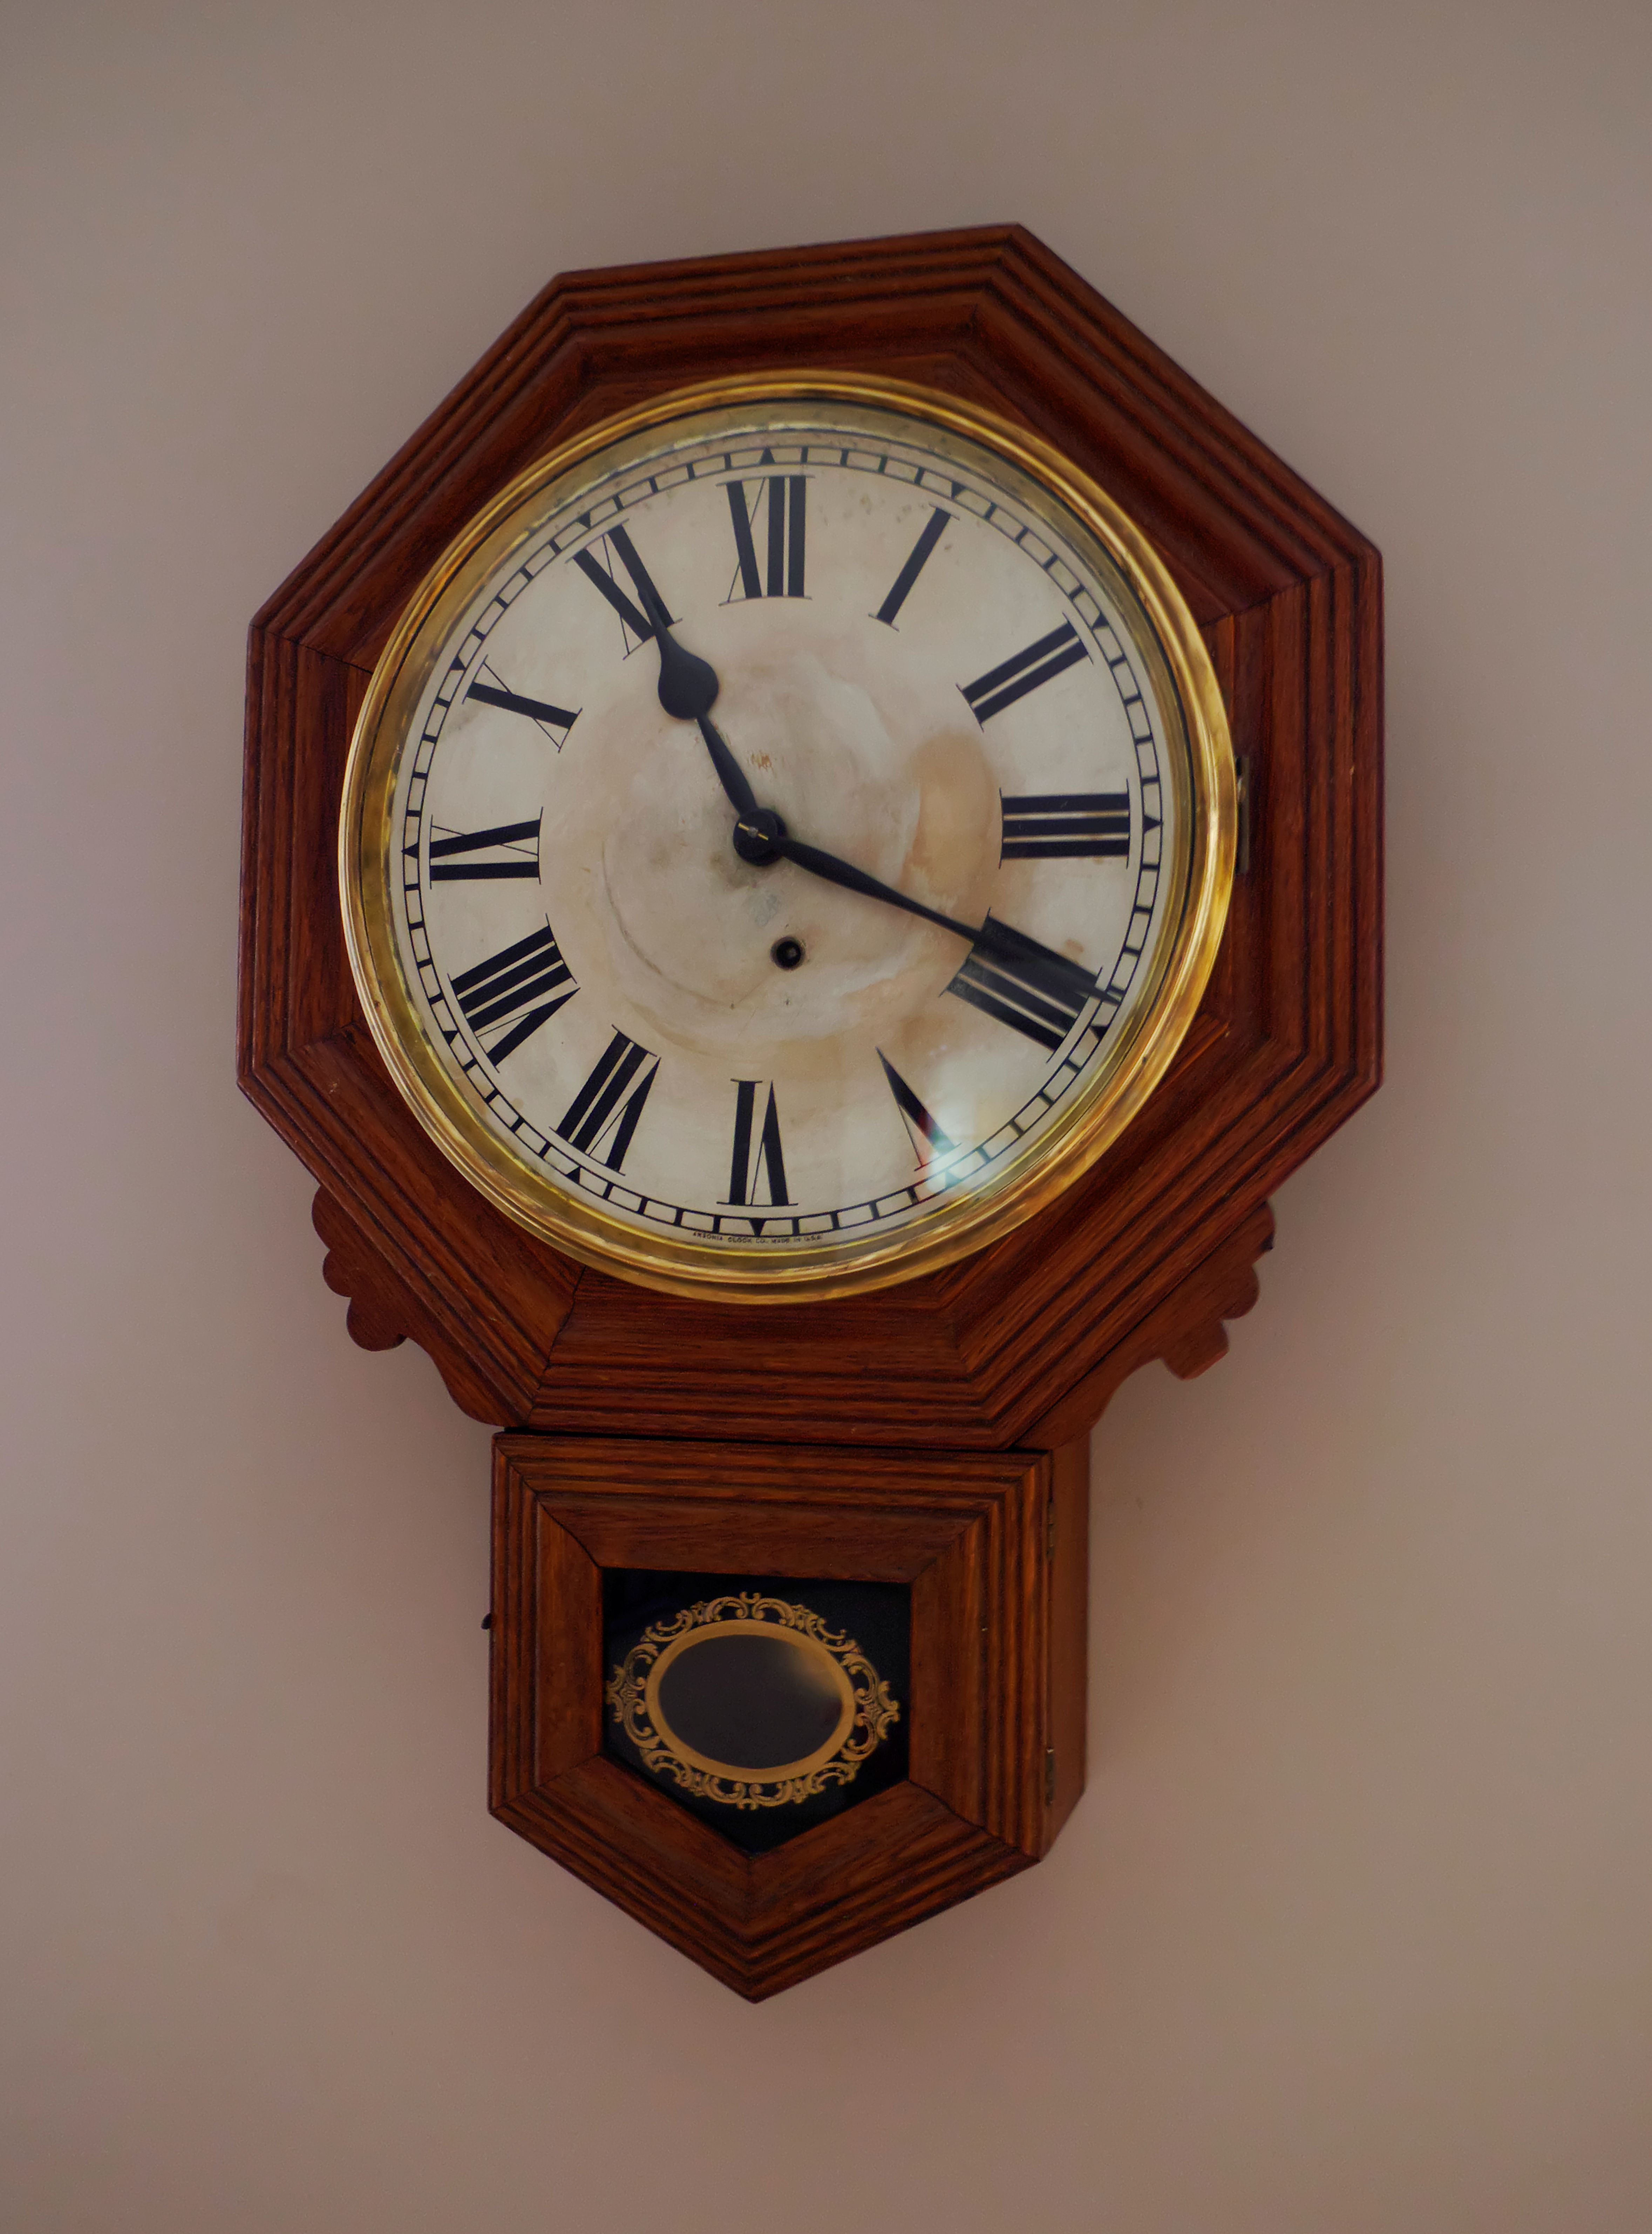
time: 11:18
